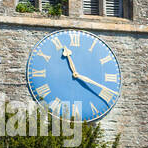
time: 11:18
